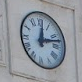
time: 12:12
